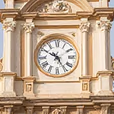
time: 4:50
